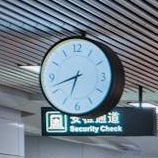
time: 6:42
